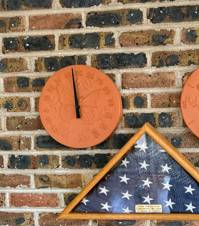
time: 11:59
